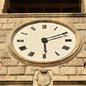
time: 2:29
